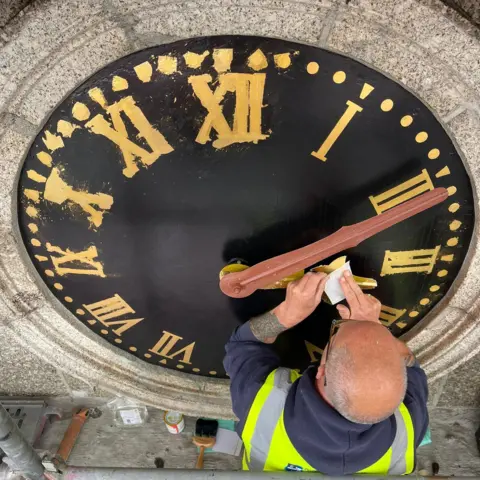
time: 2:09
